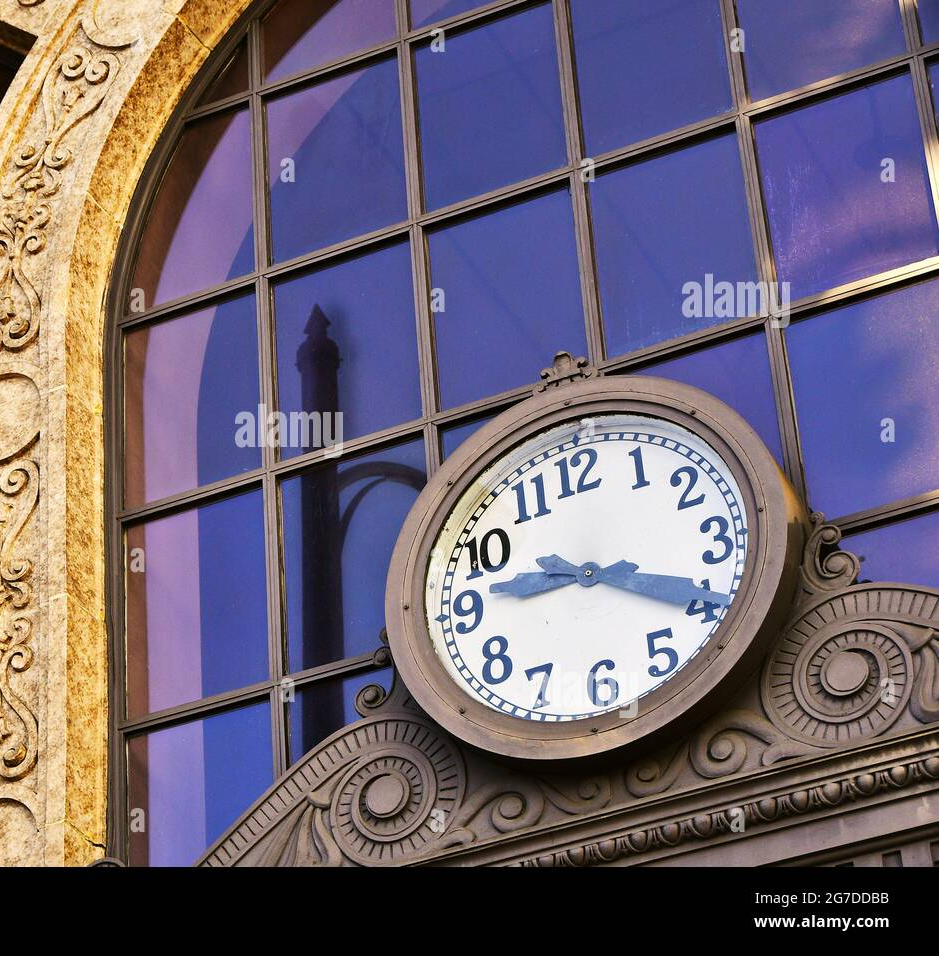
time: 9:20
